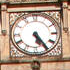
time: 5:24
